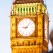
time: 9:07
